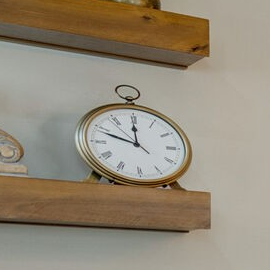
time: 11:48
